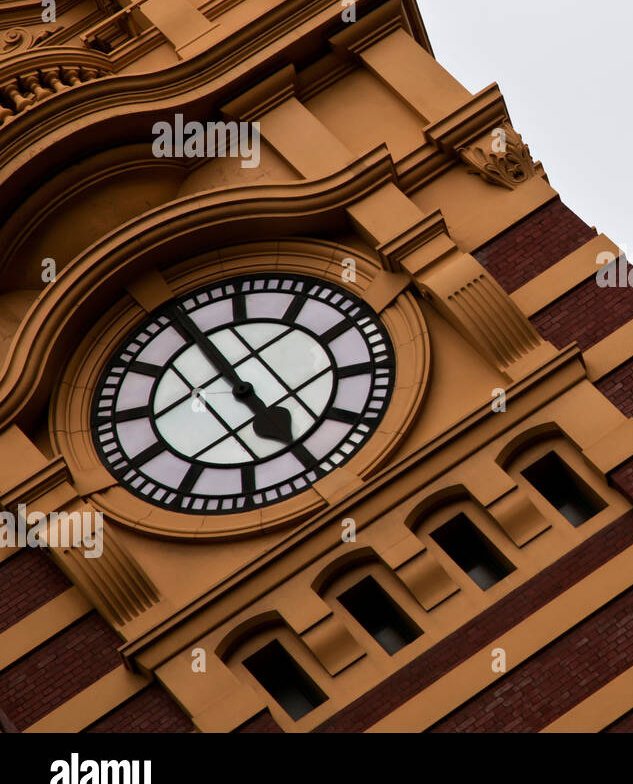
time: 4:54
